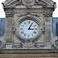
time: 3:04
